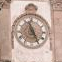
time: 11:25
